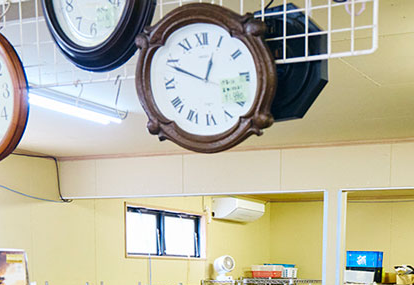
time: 12:48
